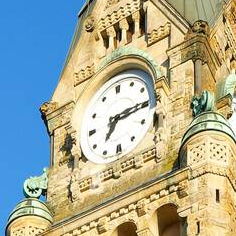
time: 7:15
